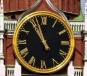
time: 10:56
